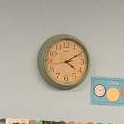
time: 4:09
